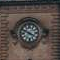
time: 3:48
